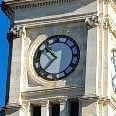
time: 10:37
